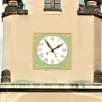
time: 1:54
